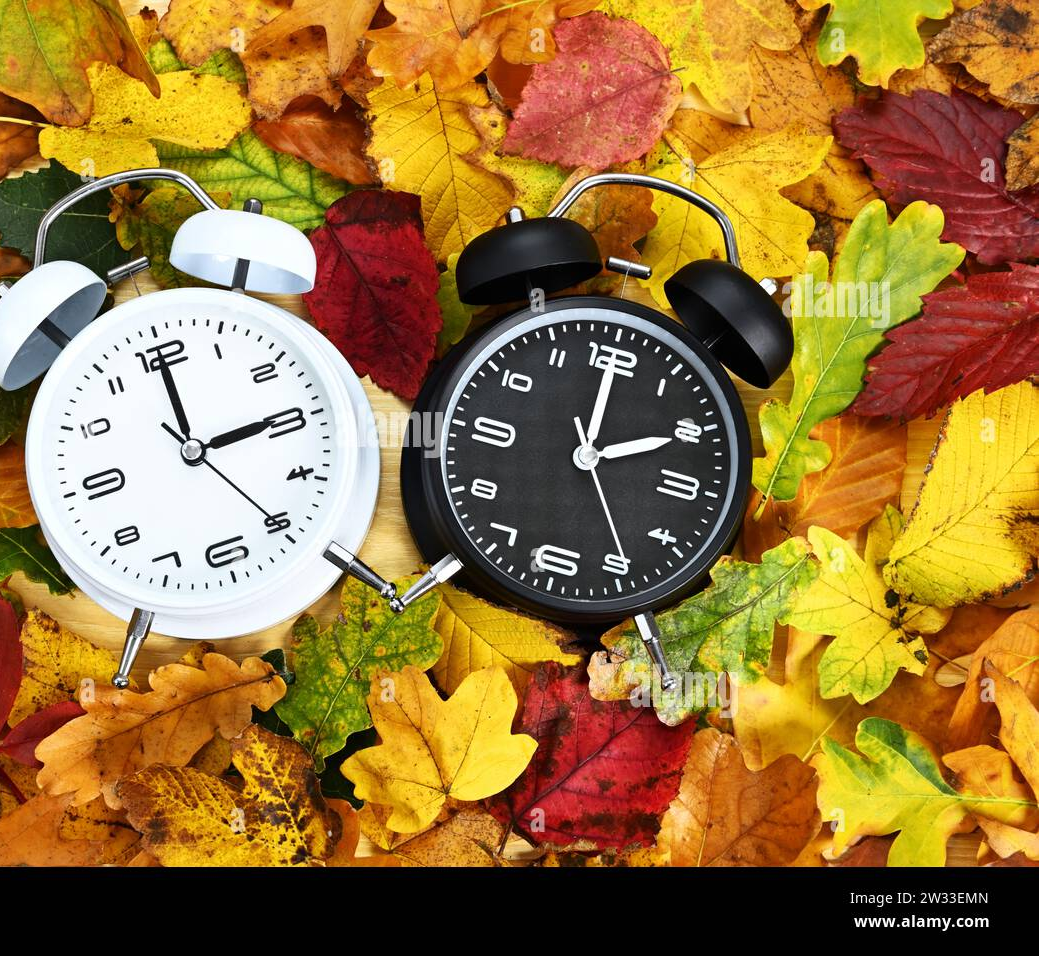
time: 2:00
